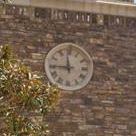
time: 11:45
